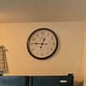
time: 12:46
